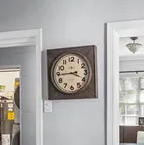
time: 3:44
